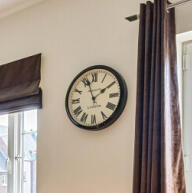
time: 1:56
